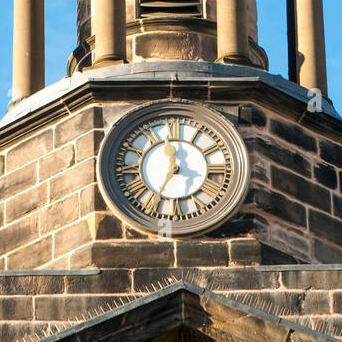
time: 11:35
